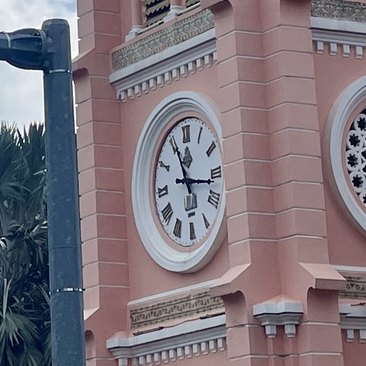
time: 11:16
